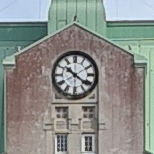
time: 10:21
